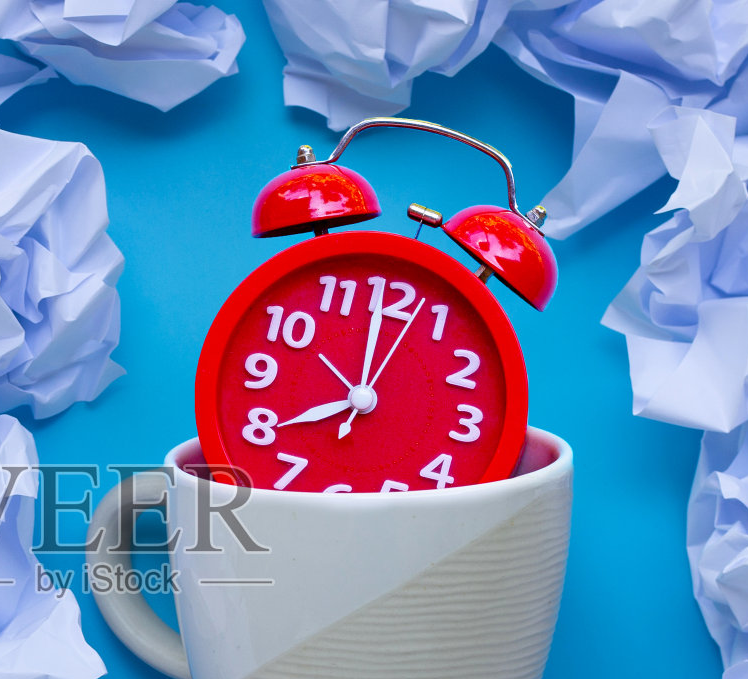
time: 7:59
